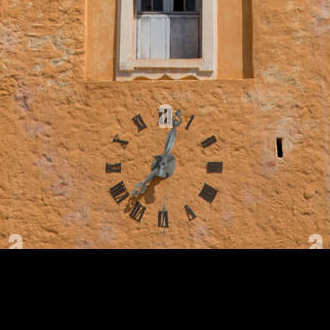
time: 7:02
